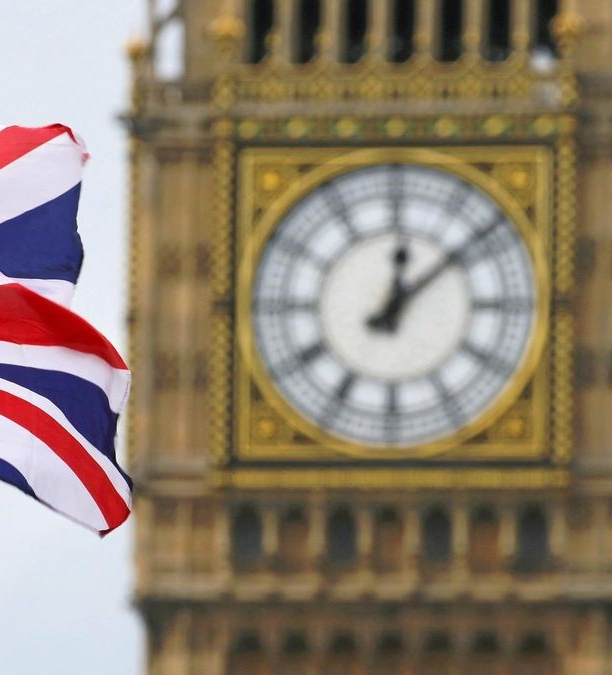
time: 12:08
